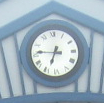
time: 6:46
